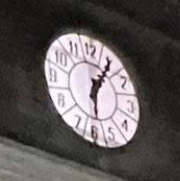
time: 6:05
